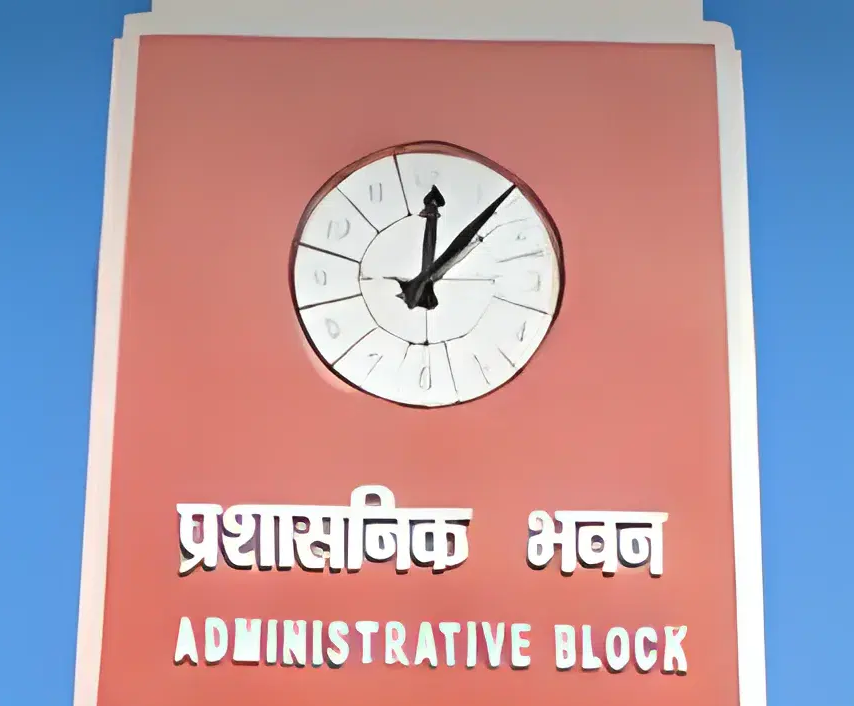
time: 12:07
